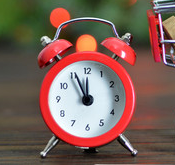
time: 11:55
